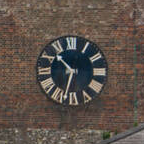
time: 10:32
